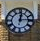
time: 12:14
